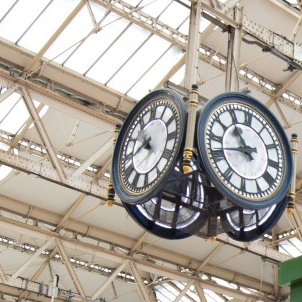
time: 10:43
